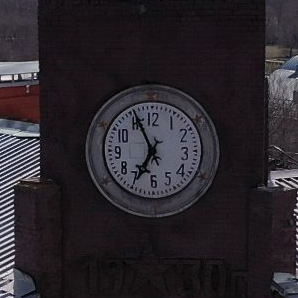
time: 6:55
